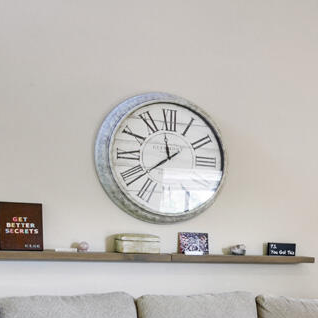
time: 11:38
